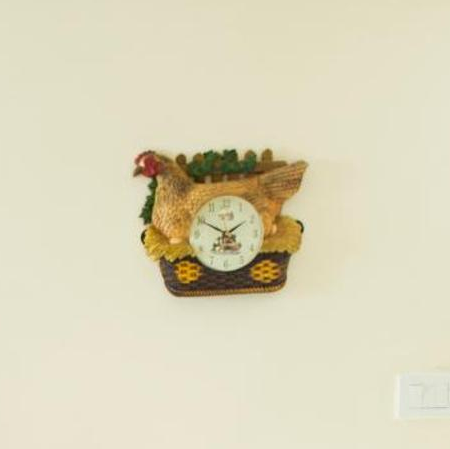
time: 1:50
